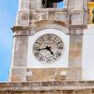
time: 4:42
